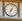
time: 7:04
